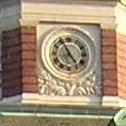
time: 4:55
